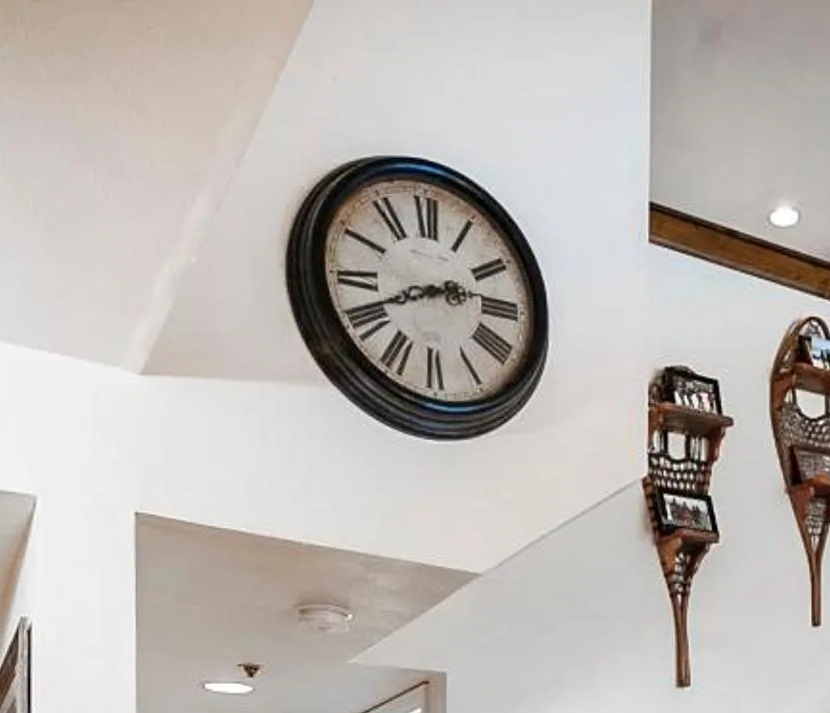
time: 2:41
